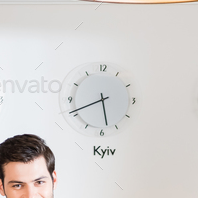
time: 5:41
